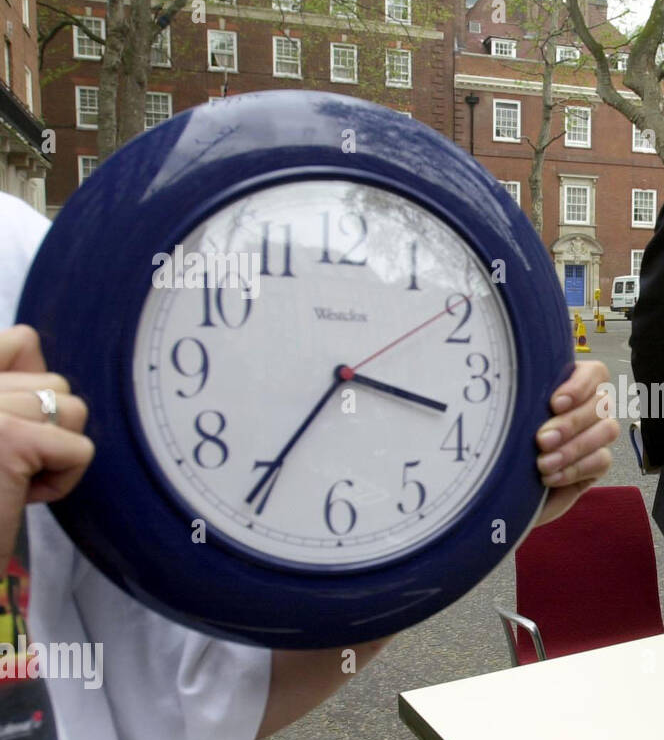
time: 3:35
